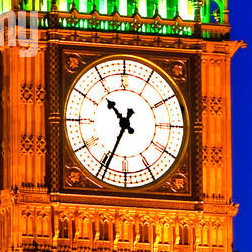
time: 10:34
